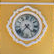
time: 4:37
